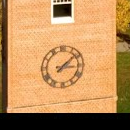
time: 3:08
